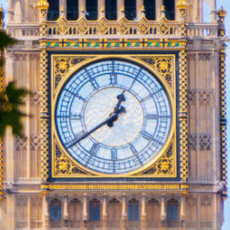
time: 12:39
